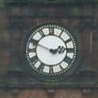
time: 2:48
